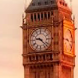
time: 9:22
